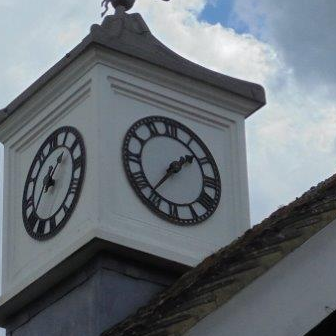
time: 1:36
